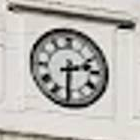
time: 2:30
